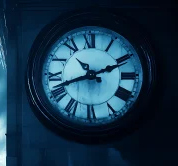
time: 10:41
